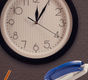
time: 12:04
